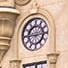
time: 2:44
